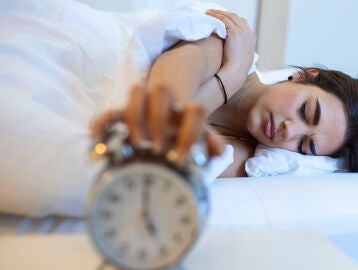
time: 4:59
